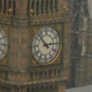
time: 2:53
